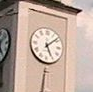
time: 5:08
